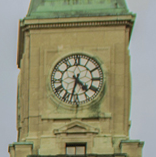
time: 4:32
